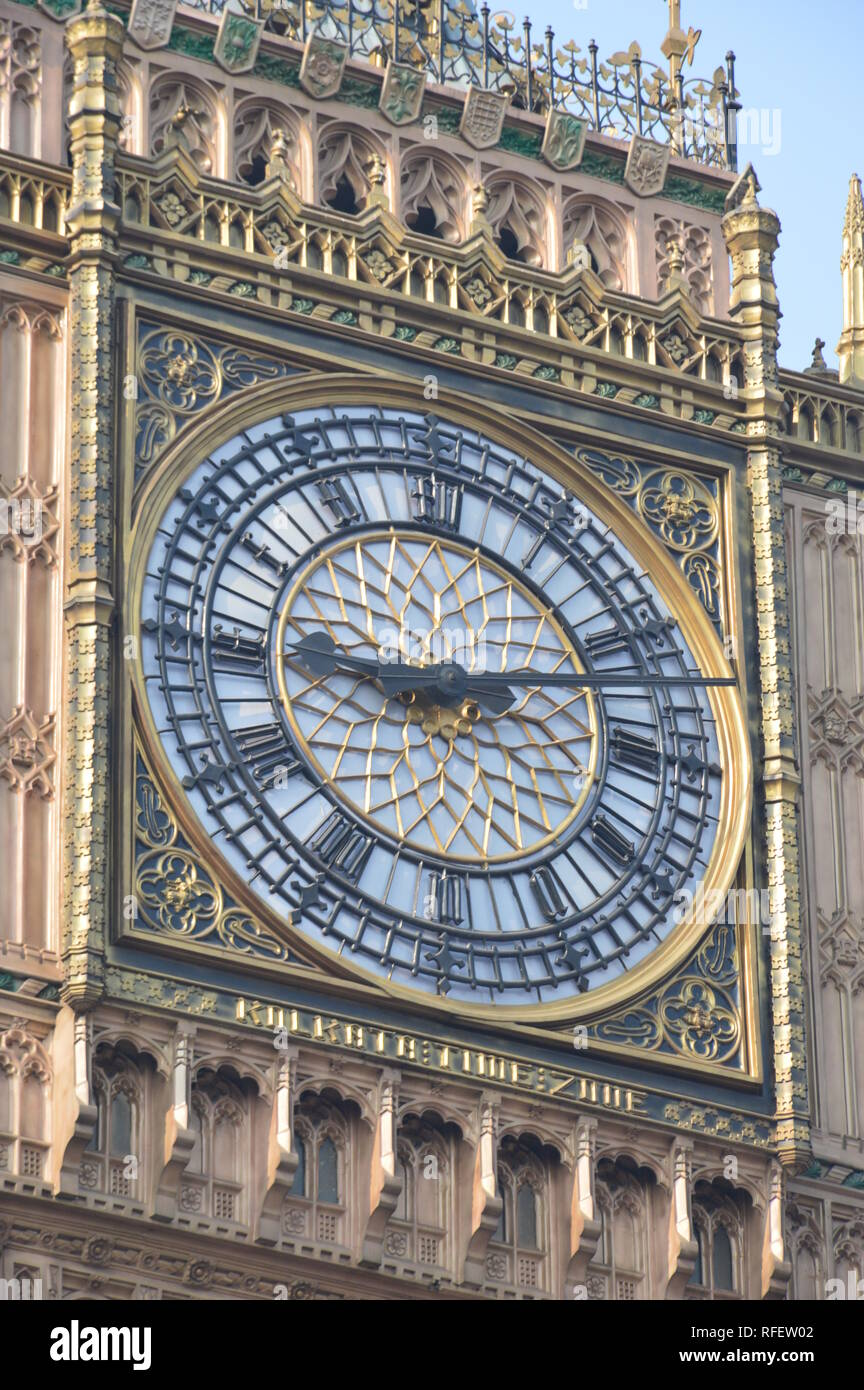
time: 9:11
